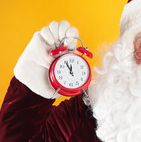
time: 11:54
